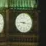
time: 9:16
